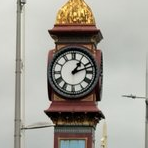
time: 1:12
